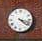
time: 4:17
